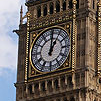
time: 1:01
